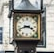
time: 3:42
